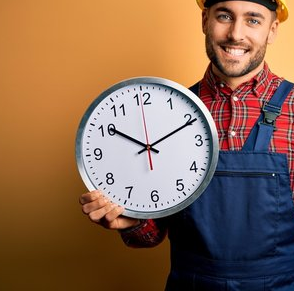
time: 10:10
